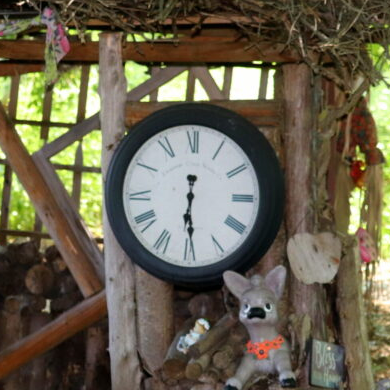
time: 6:29
